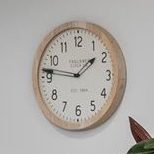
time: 1:46
